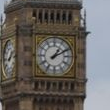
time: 1:10
